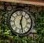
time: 12:27
